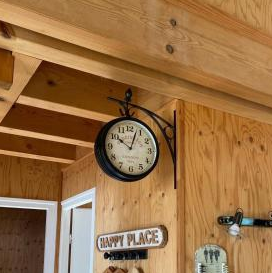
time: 10:03
